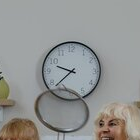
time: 9:37
